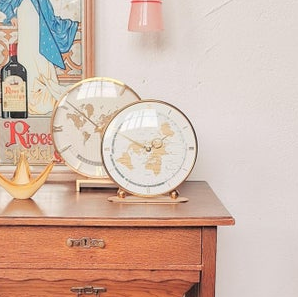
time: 1:50
